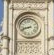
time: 8:42
